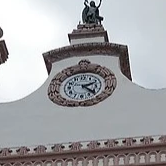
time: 2:22
